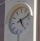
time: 5:11
